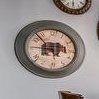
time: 8:53
